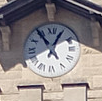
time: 12:54
